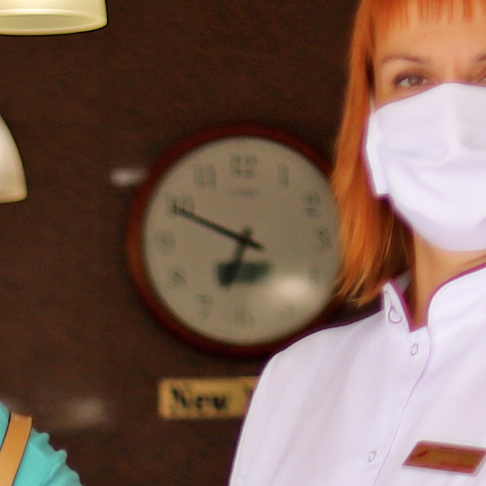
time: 6:49
